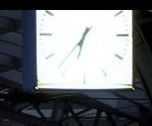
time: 6:36
